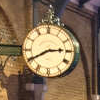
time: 2:40
